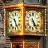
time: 5:24
